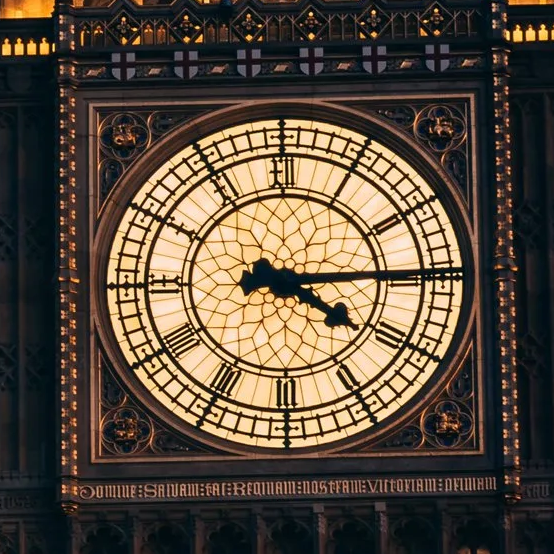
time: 4:14
